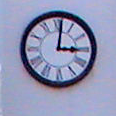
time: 3:01
